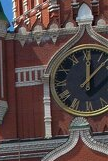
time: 12:07
